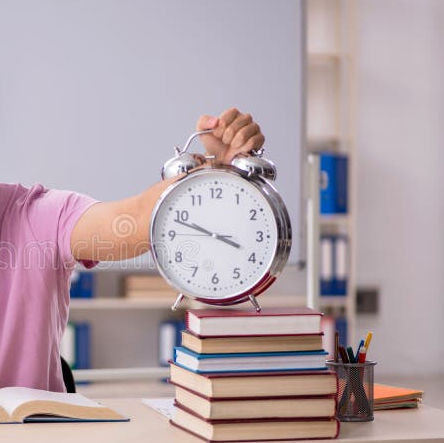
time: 3:48
